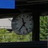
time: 11:36
